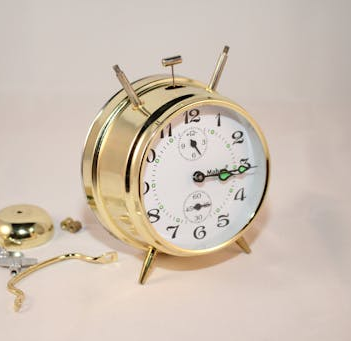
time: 3:15
